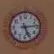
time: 5:13
